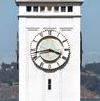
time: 3:43
